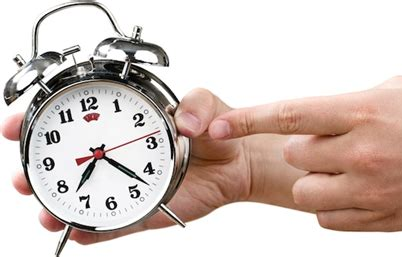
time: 7:22
